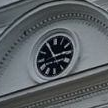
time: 11:13
